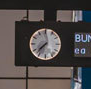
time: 7:37
